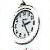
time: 2:24
